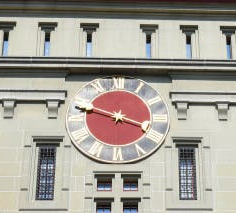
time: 3:48
